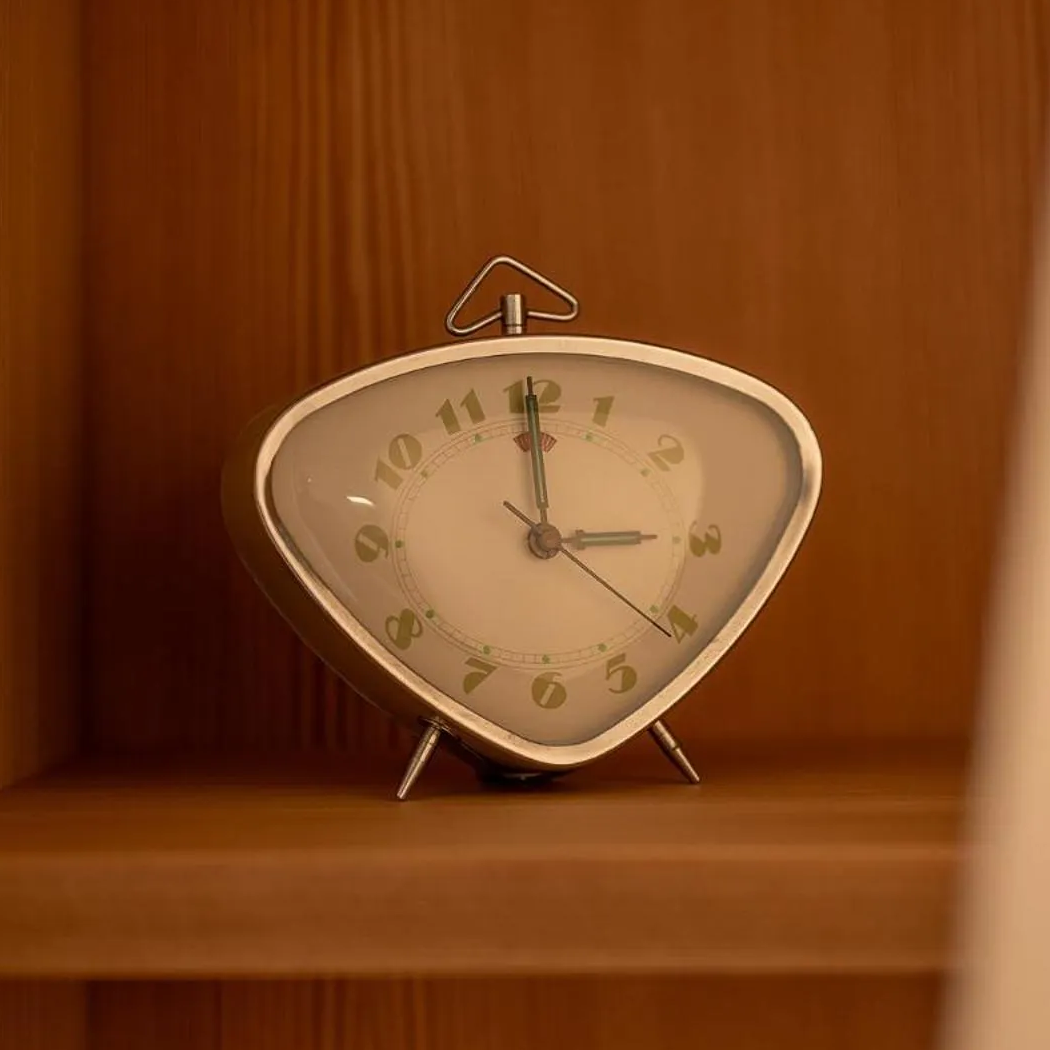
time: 3:00
